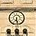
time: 6:28
